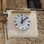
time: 12:08
